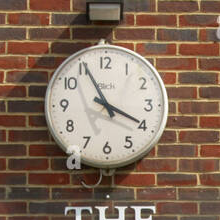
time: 3:55
